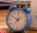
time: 1:50
